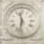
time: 11:32
